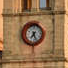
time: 7:25
